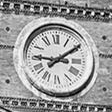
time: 9:09
